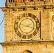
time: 2:18
